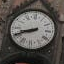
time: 8:41
